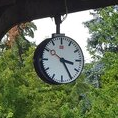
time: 3:24
